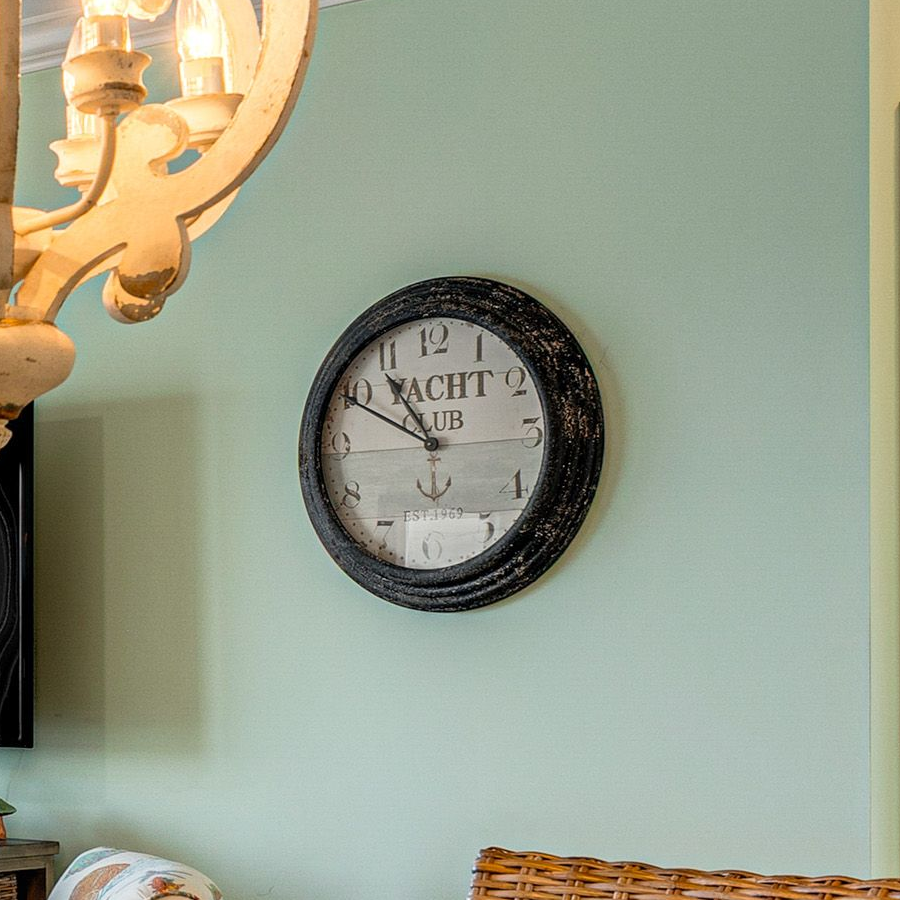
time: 10:49
